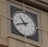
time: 10:41
